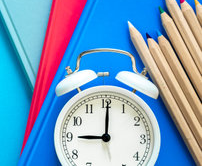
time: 9:00
